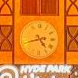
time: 4:42
